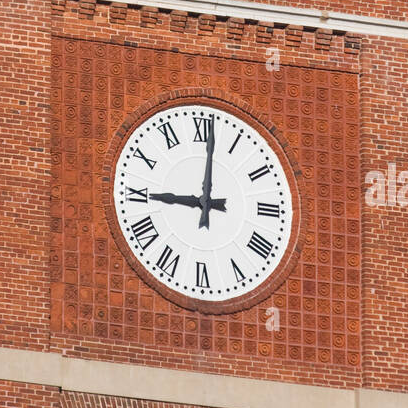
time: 9:01
